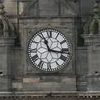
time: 11:16
